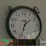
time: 1:33
